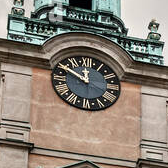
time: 11:49
